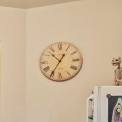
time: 12:52
